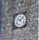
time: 10:07
